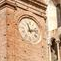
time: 11:12
